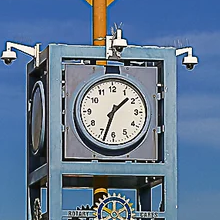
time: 1:33
